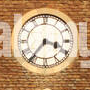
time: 3:36
